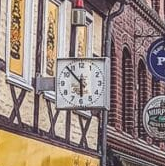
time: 5:53
